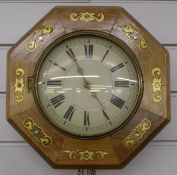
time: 2:55
